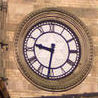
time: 9:31
